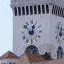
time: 12:52
